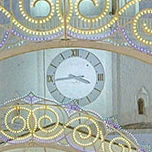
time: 3:43
